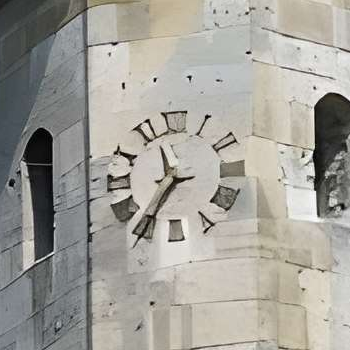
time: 11:35
